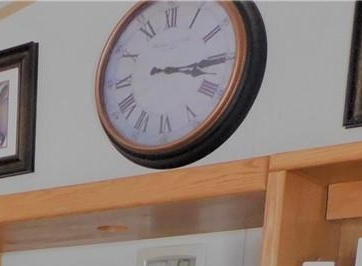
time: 3:14
